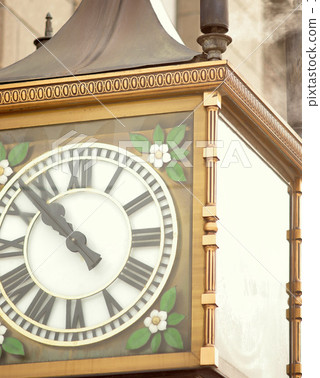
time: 10:52
